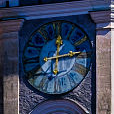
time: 12:13
